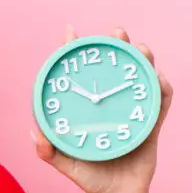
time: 10:12
